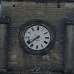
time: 7:38
